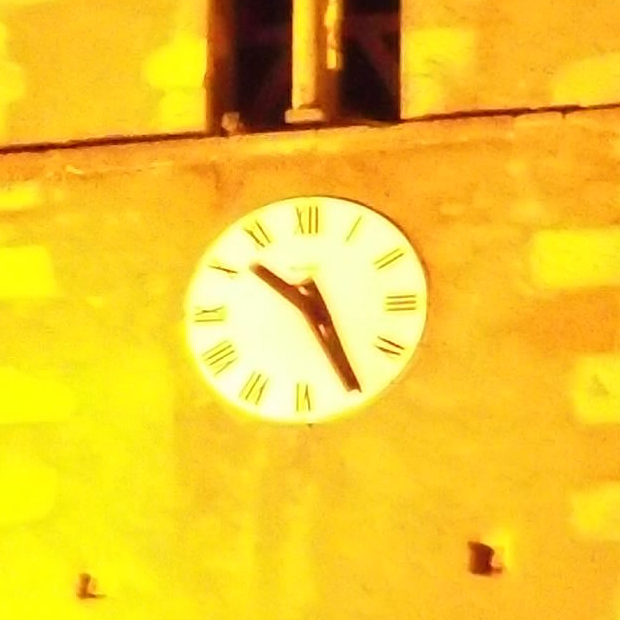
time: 10:25
